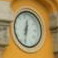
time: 12:32
